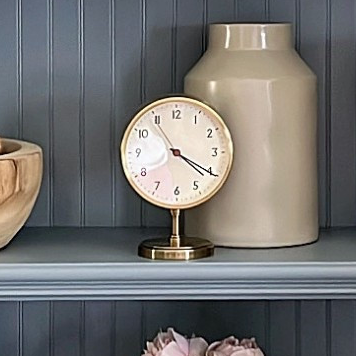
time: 4:20
